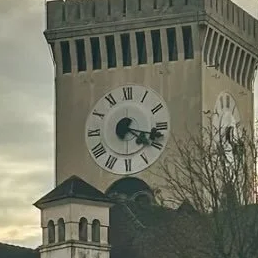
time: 4:17
